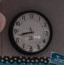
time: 8:42
